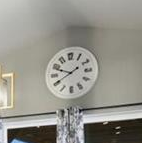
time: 9:40
